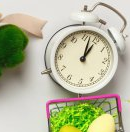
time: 1:02
